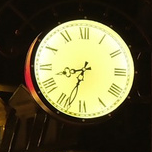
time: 8:33
